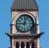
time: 9:01
